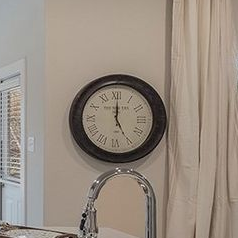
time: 5:00
